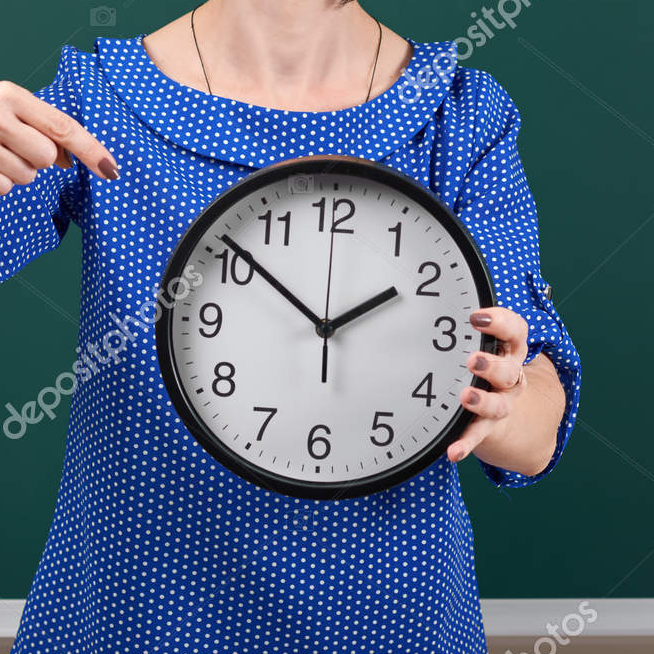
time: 1:51
